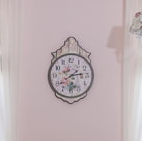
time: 2:39
